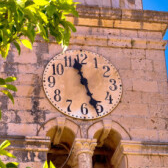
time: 11:26
